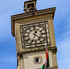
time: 12:34
